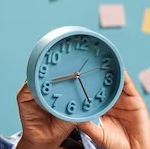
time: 8:23
